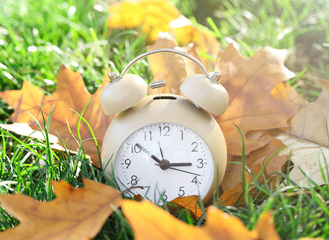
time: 2:51
